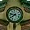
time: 7:47
